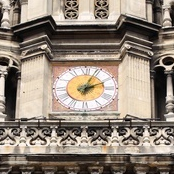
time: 2:03
